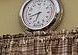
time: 6:42
